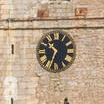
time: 10:33
